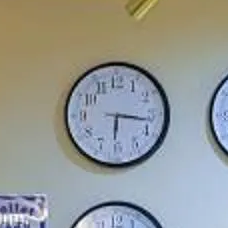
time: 6:16
